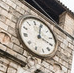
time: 4:04
